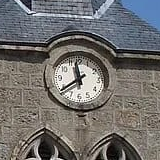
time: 11:39
